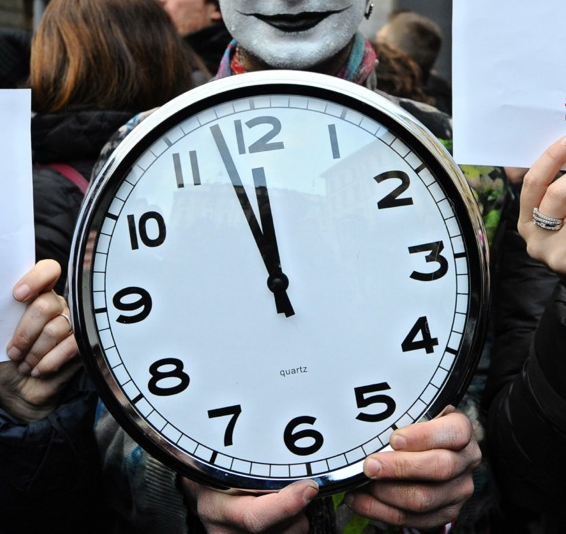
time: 11:57
